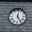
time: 12:24
